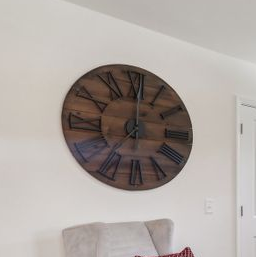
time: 7:00
